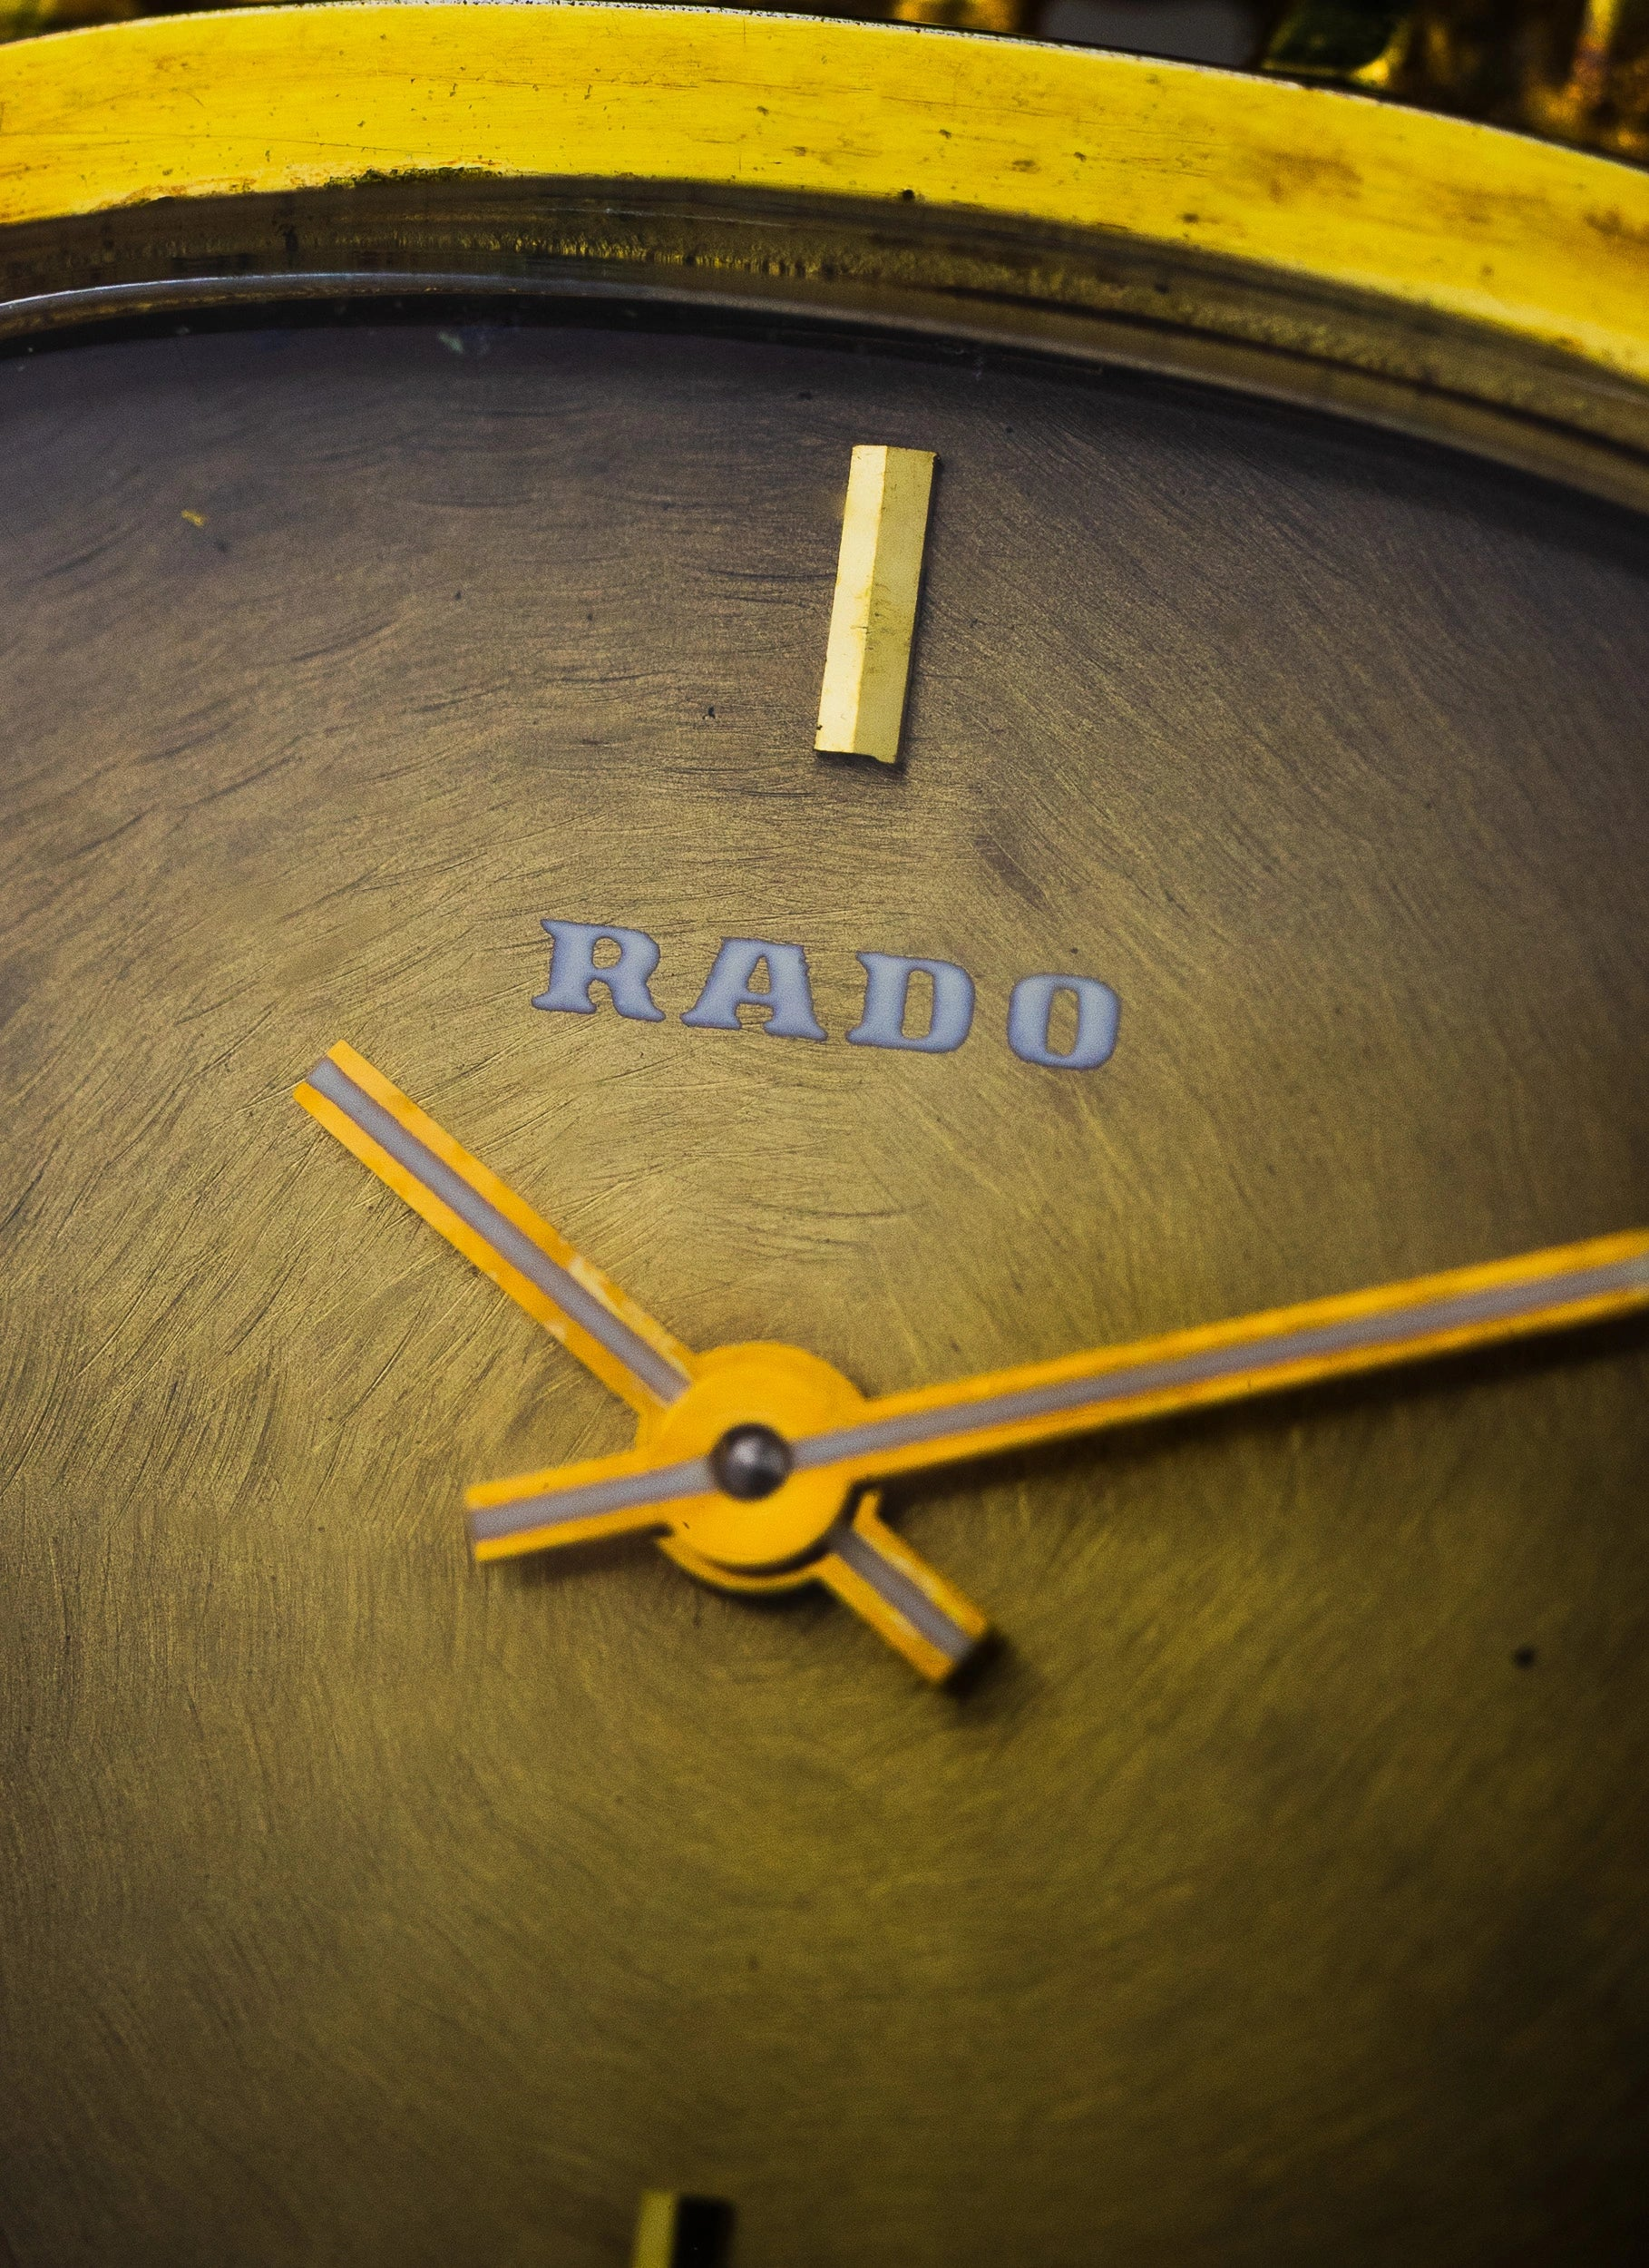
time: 4:12
